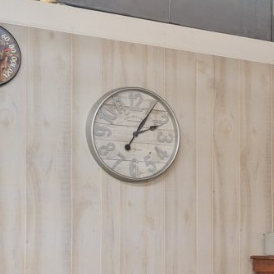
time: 2:05
